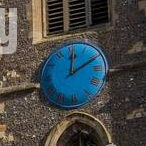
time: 12:10
